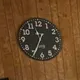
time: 11:34
